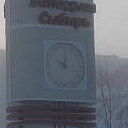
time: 10:00
